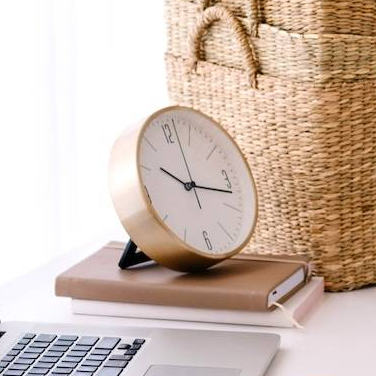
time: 10:17
